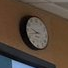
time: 9:42
